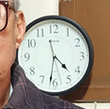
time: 4:32
